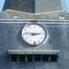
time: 2:46
